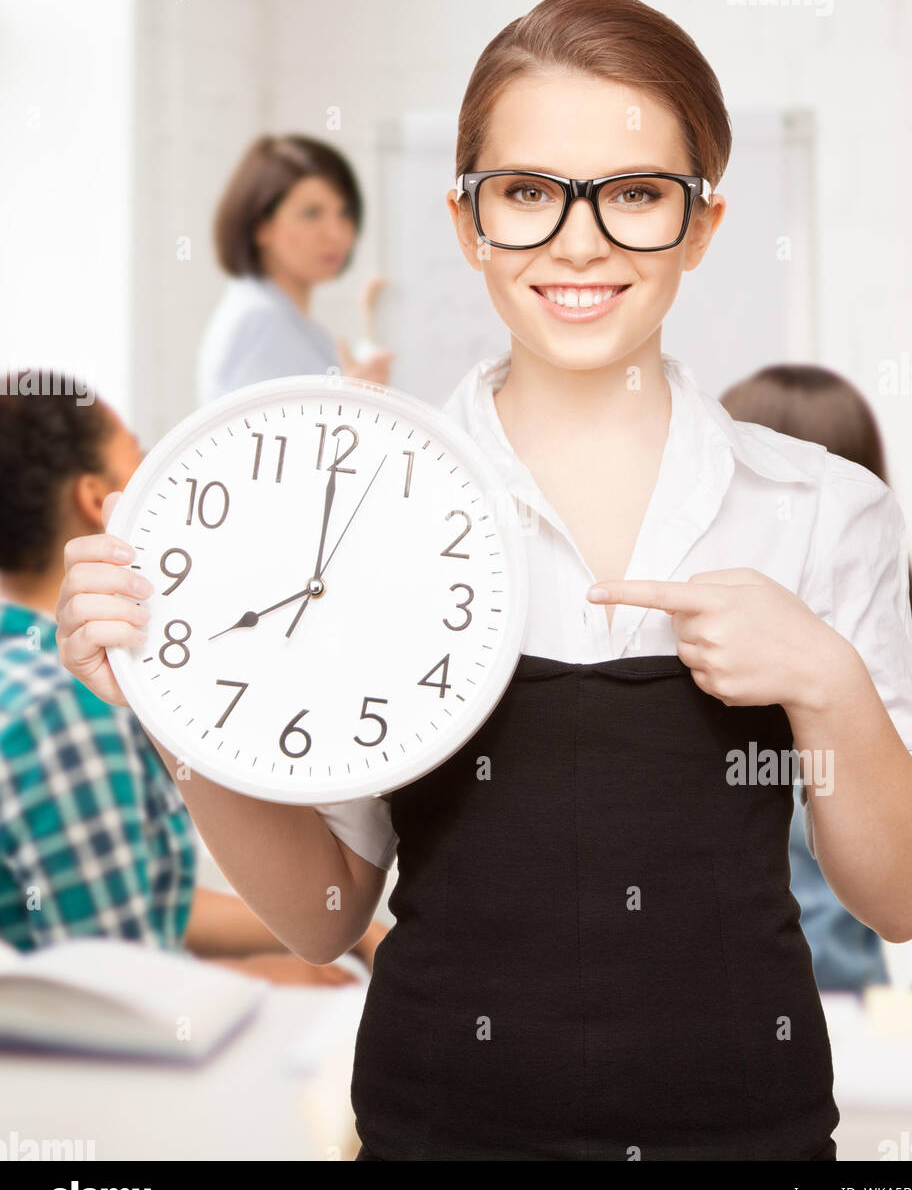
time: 7:59
